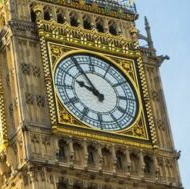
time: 9:54
